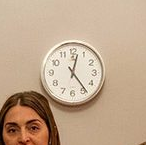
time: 12:23
